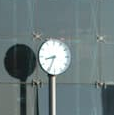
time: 8:34
